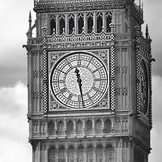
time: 11:28
